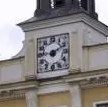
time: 9:10
